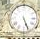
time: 5:26
